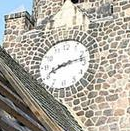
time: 8:12
